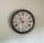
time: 10:41
